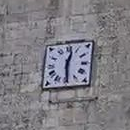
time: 12:28
